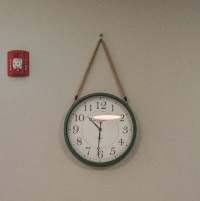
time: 10:31
